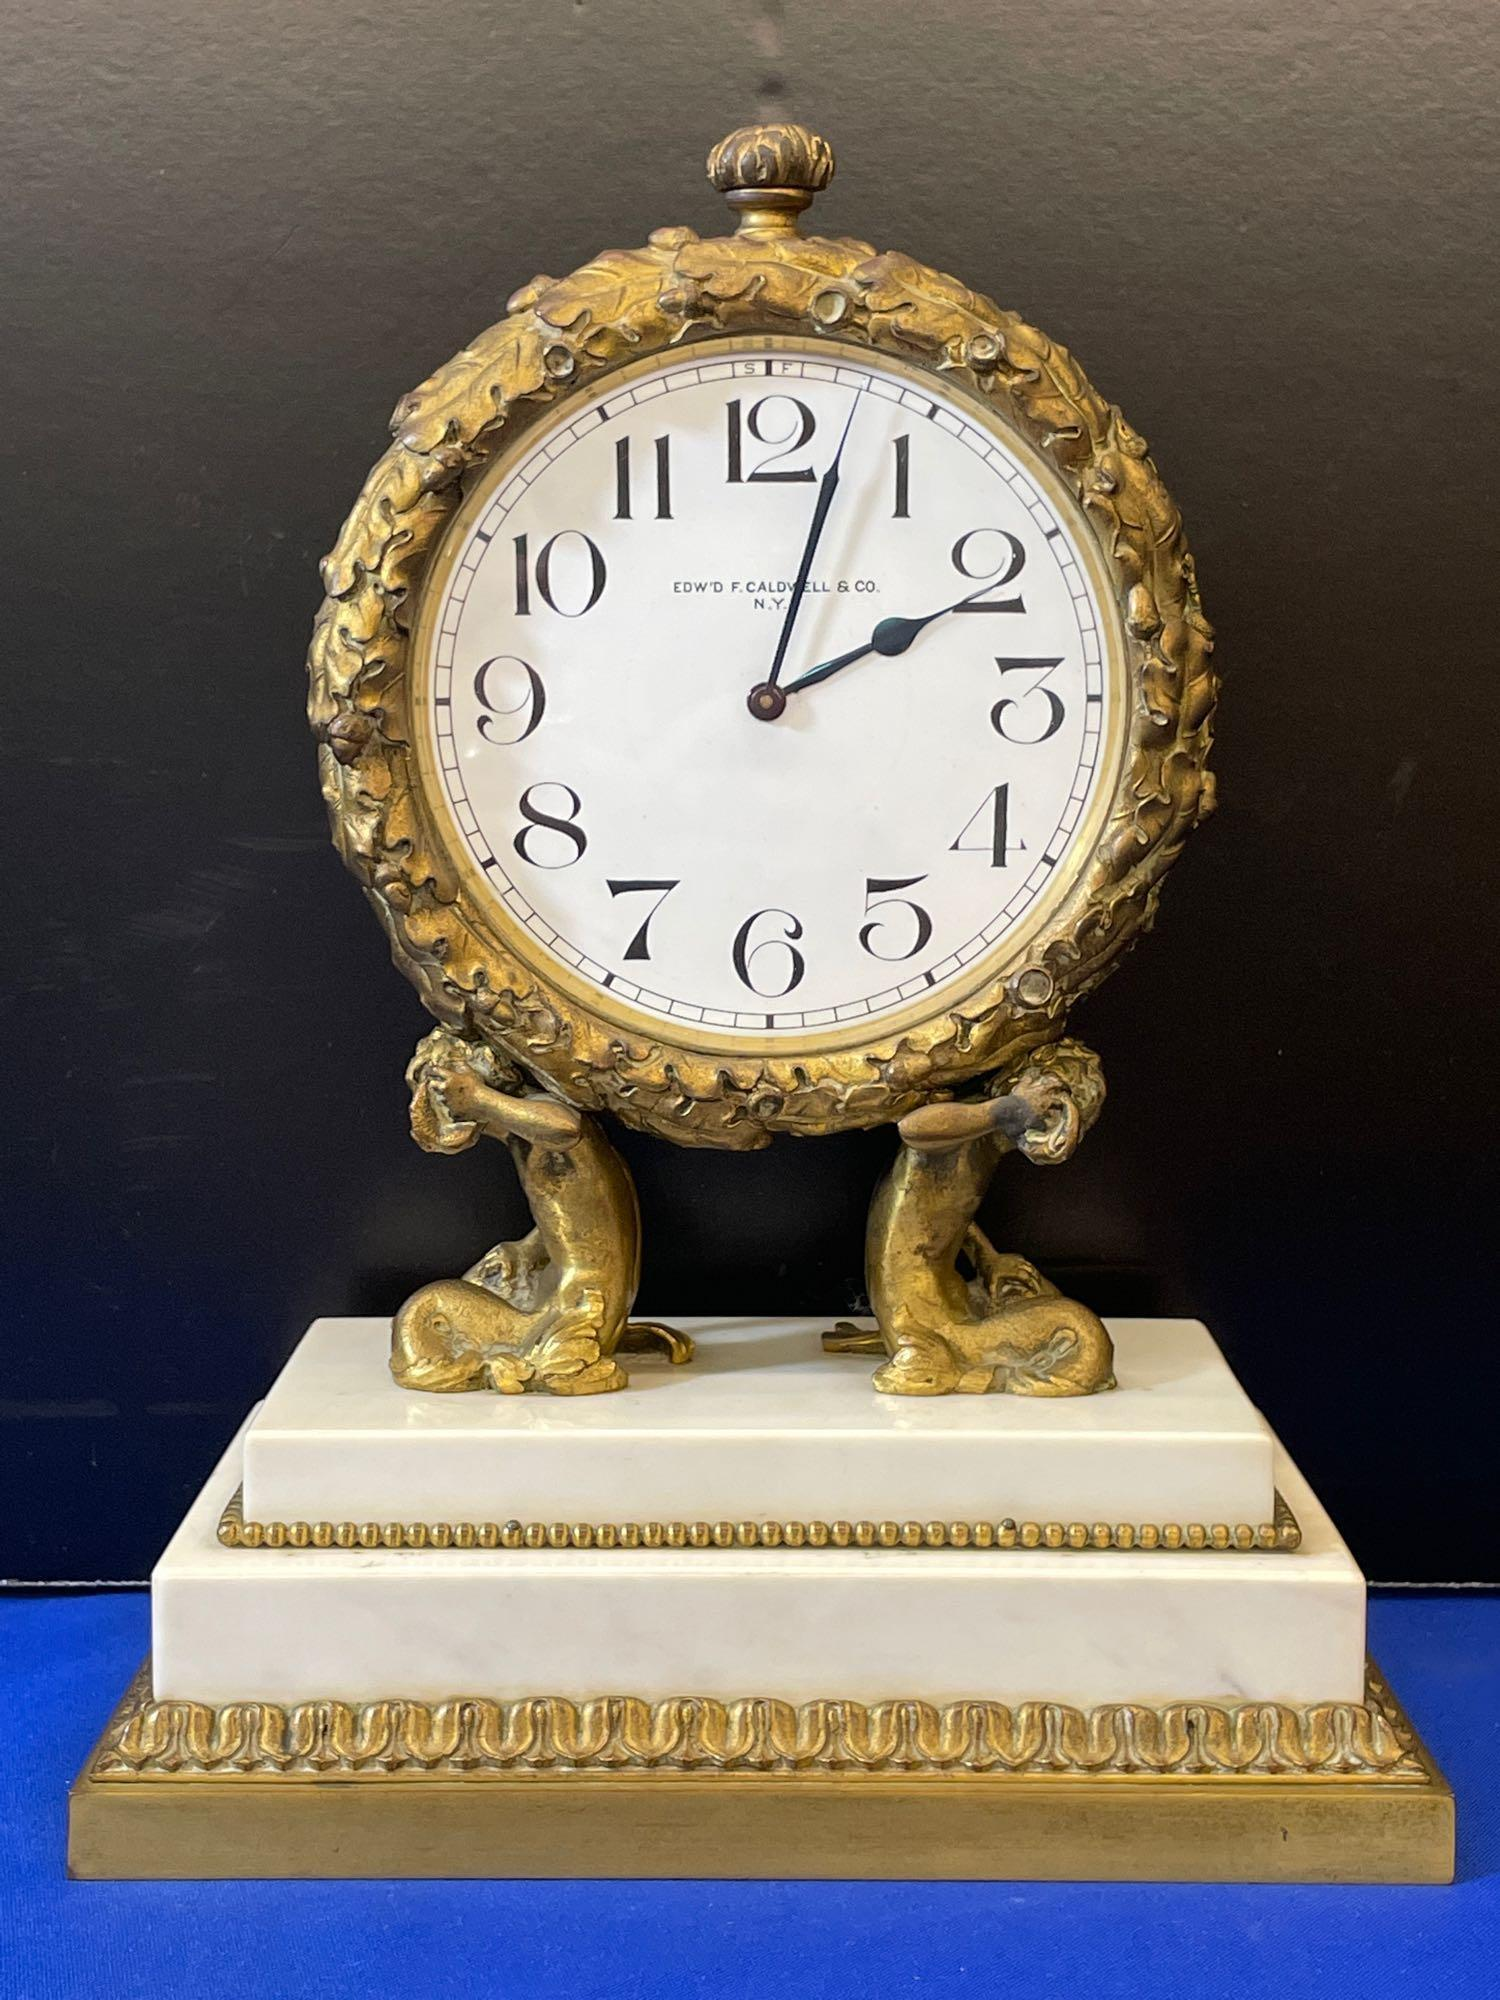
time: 2:02
